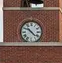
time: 10:22
